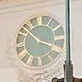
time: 3:52
